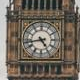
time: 4:43
